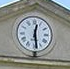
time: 12:28
